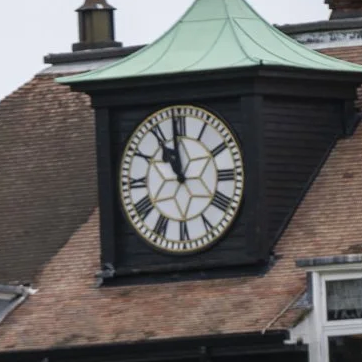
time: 10:58
